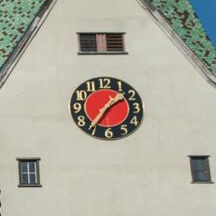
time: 1:36
